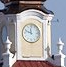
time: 11:48
